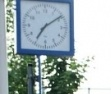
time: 7:09
